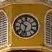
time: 10:33
